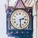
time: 2:29
